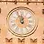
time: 11:55
